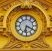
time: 6:19
